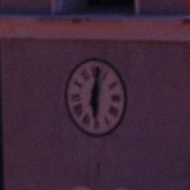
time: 6:01
